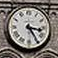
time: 3:24
